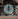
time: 5:59
